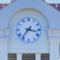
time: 3:36
